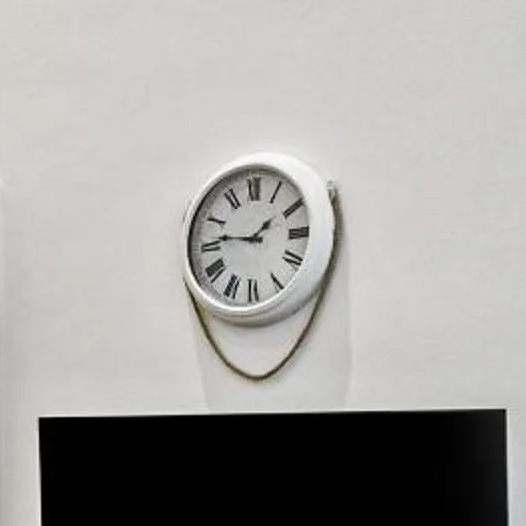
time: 1:46
